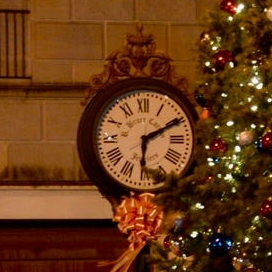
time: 6:10
